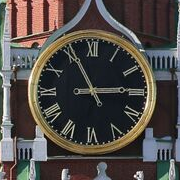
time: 2:55
